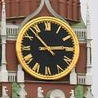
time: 2:53
